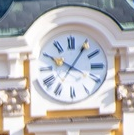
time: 10:05
